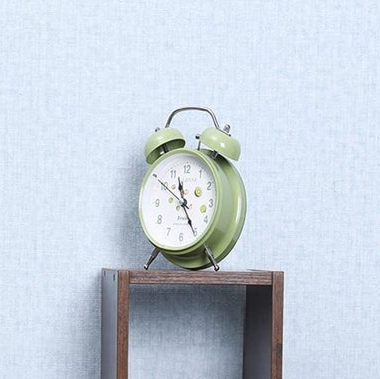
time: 11:25
